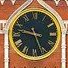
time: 9:26
